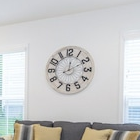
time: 12:10
